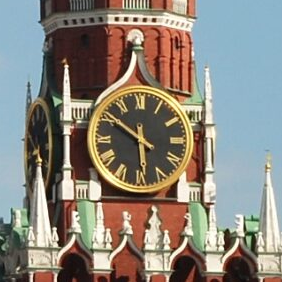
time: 5:50
